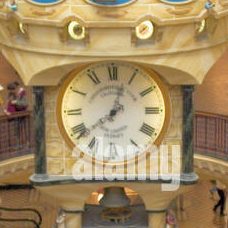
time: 12:38
